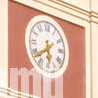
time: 5:38
